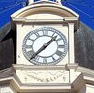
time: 1:37
